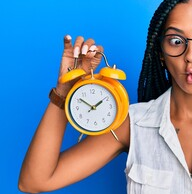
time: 1:50
